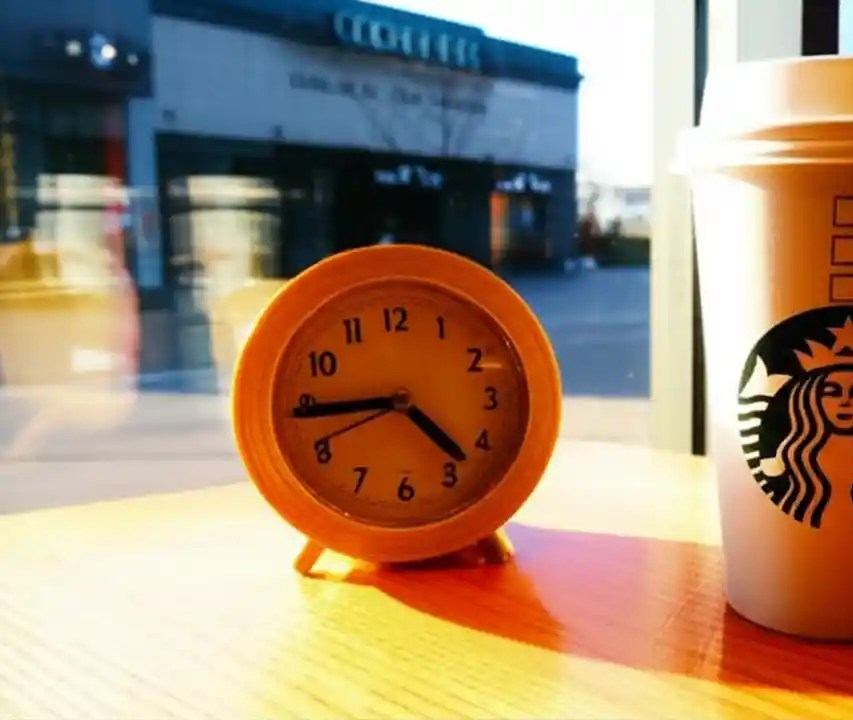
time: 4:44
